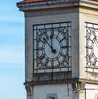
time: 11:52
